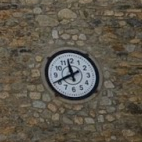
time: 11:40
